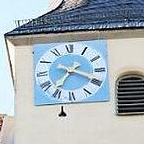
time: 7:19
